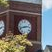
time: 2:42
